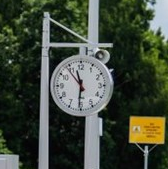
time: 11:30
